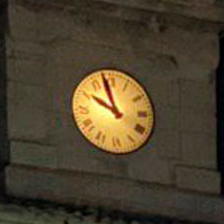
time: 9:57
